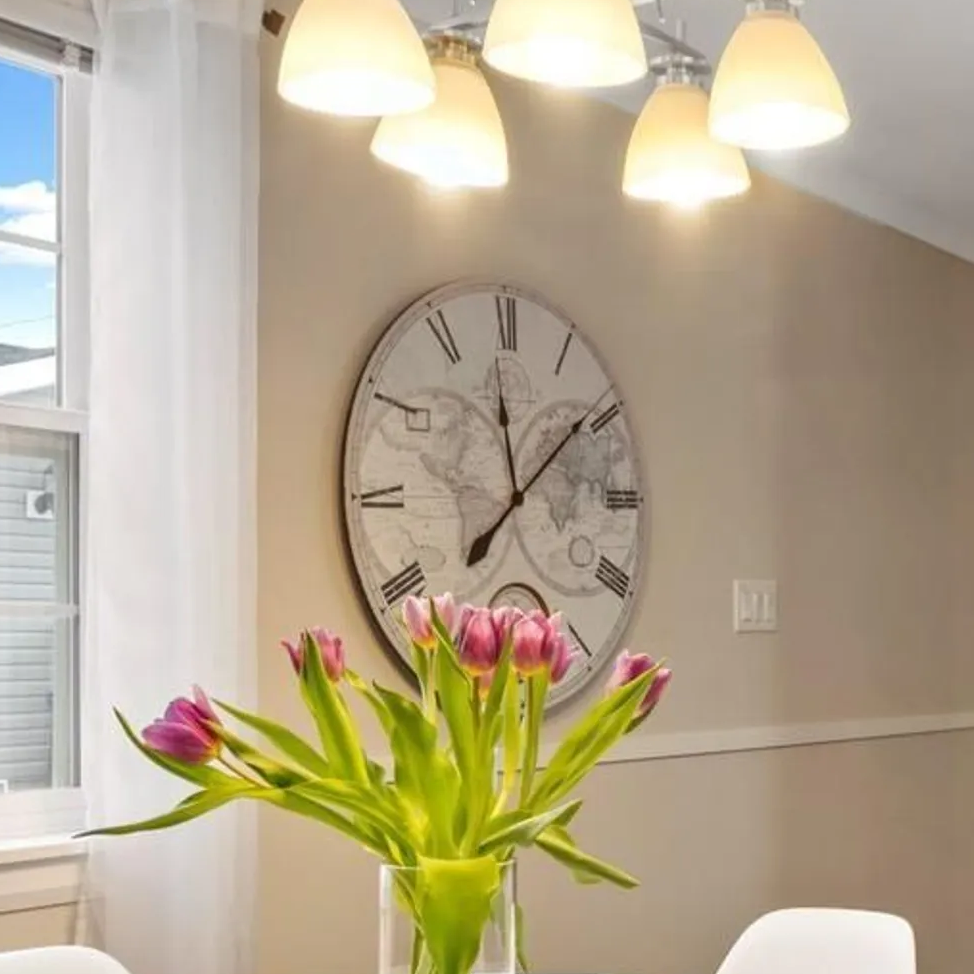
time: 12:08
